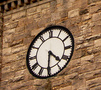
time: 4:30
